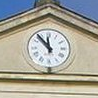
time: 11:53
